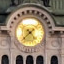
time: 4:37
